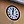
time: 12:01
